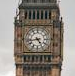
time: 4:42
